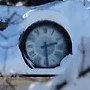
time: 2:29
